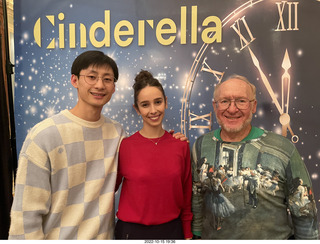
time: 11:54
